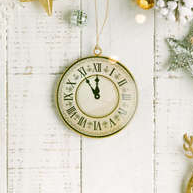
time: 11:54
